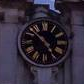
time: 4:52
